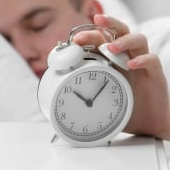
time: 10:06
